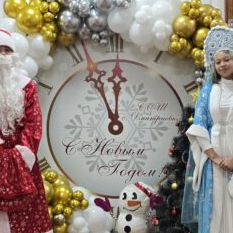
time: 11:55
